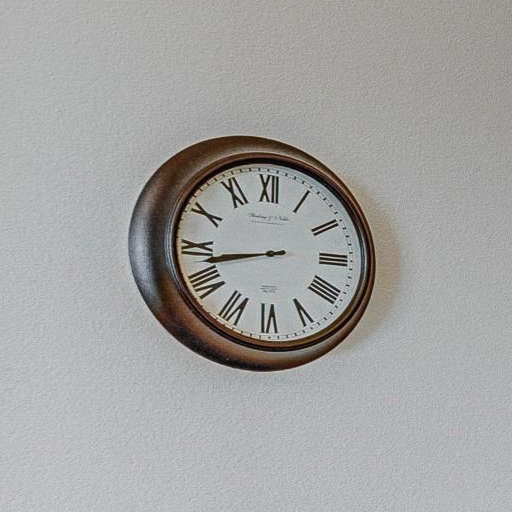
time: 8:42
